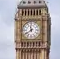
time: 11:39
